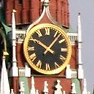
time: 10:06
